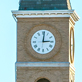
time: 3:01
